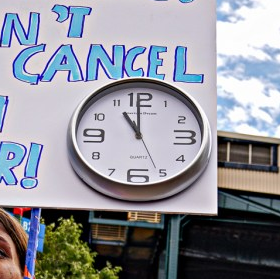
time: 10:59
